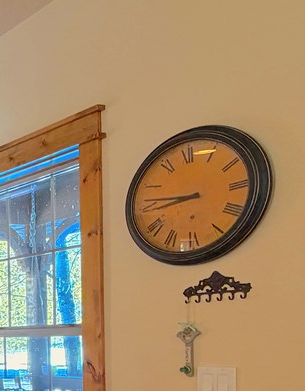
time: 8:46
